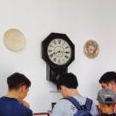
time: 8:15
